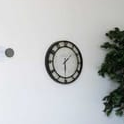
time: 1:29
